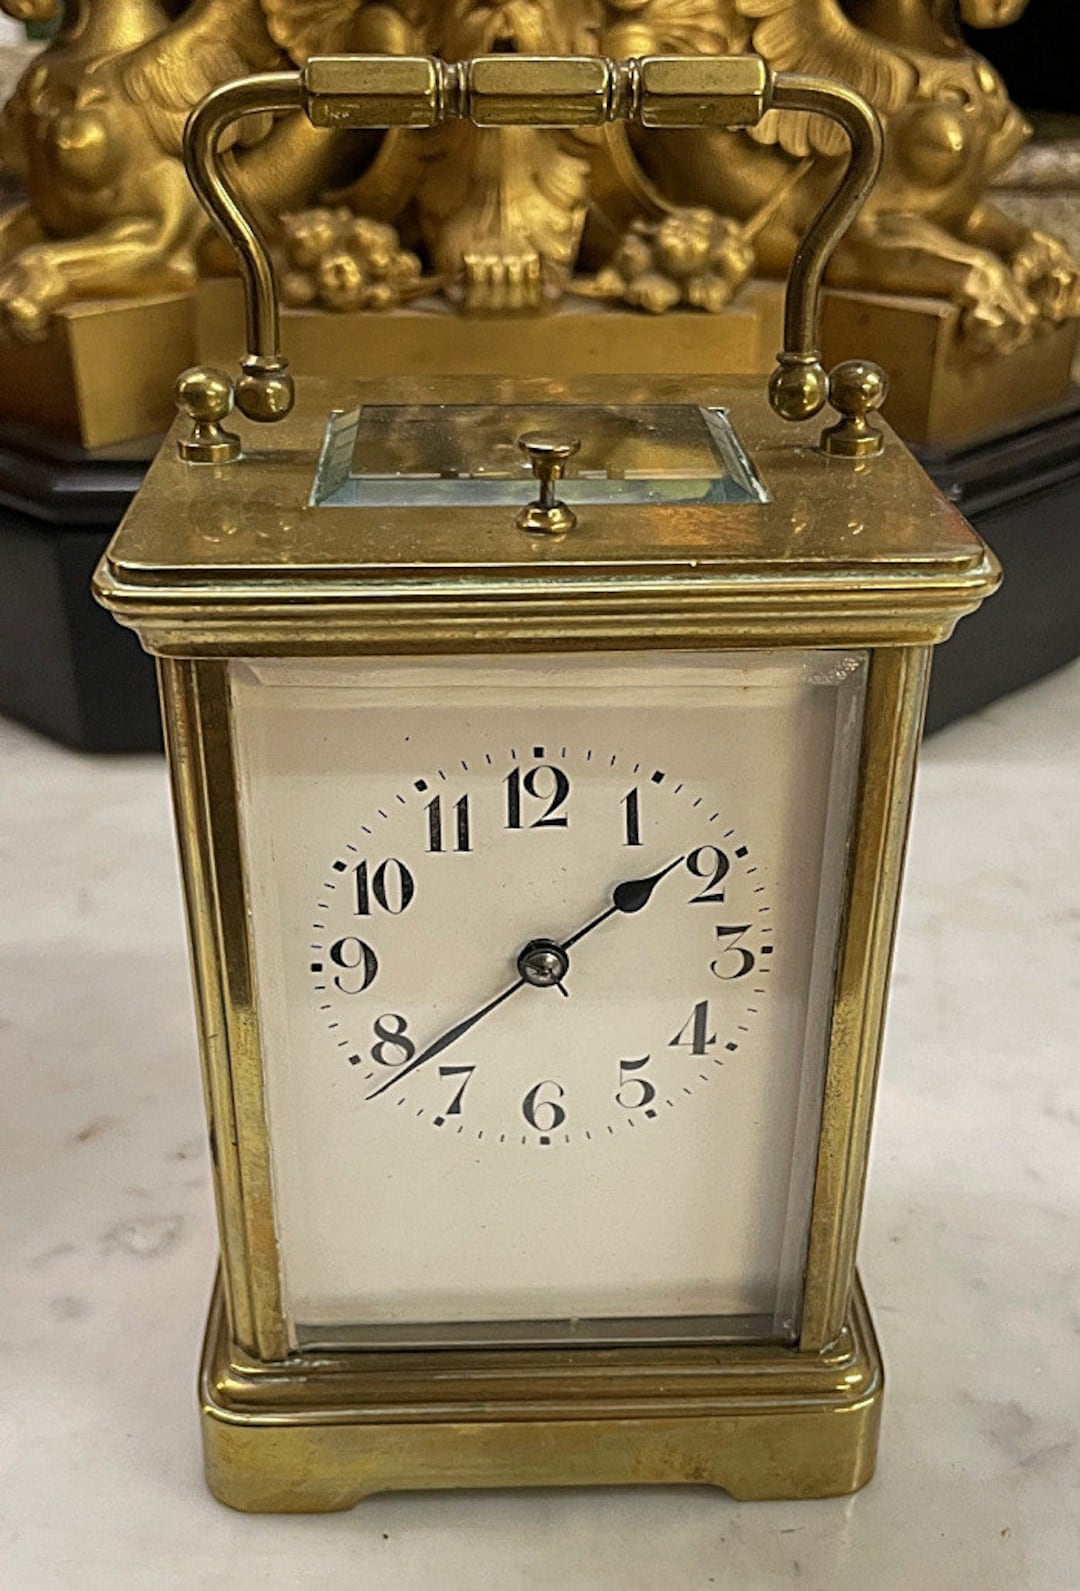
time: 1:39
